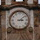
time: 3:08
